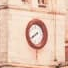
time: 7:39
